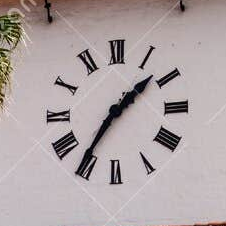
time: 1:35
